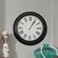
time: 1:05
